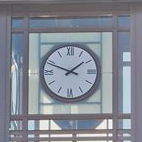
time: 1:48
